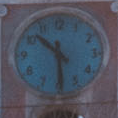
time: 10:29
